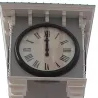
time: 11:59
